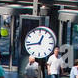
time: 12:43
